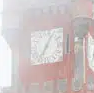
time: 7:04
